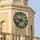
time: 9:37
